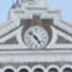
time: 4:52
